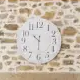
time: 10:30
